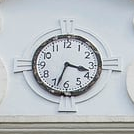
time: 3:33
